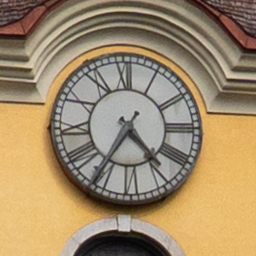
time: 4:35
